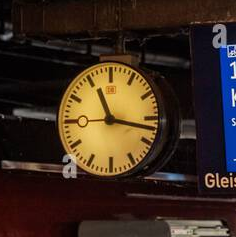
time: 11:17
